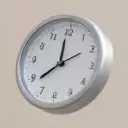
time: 11:38
